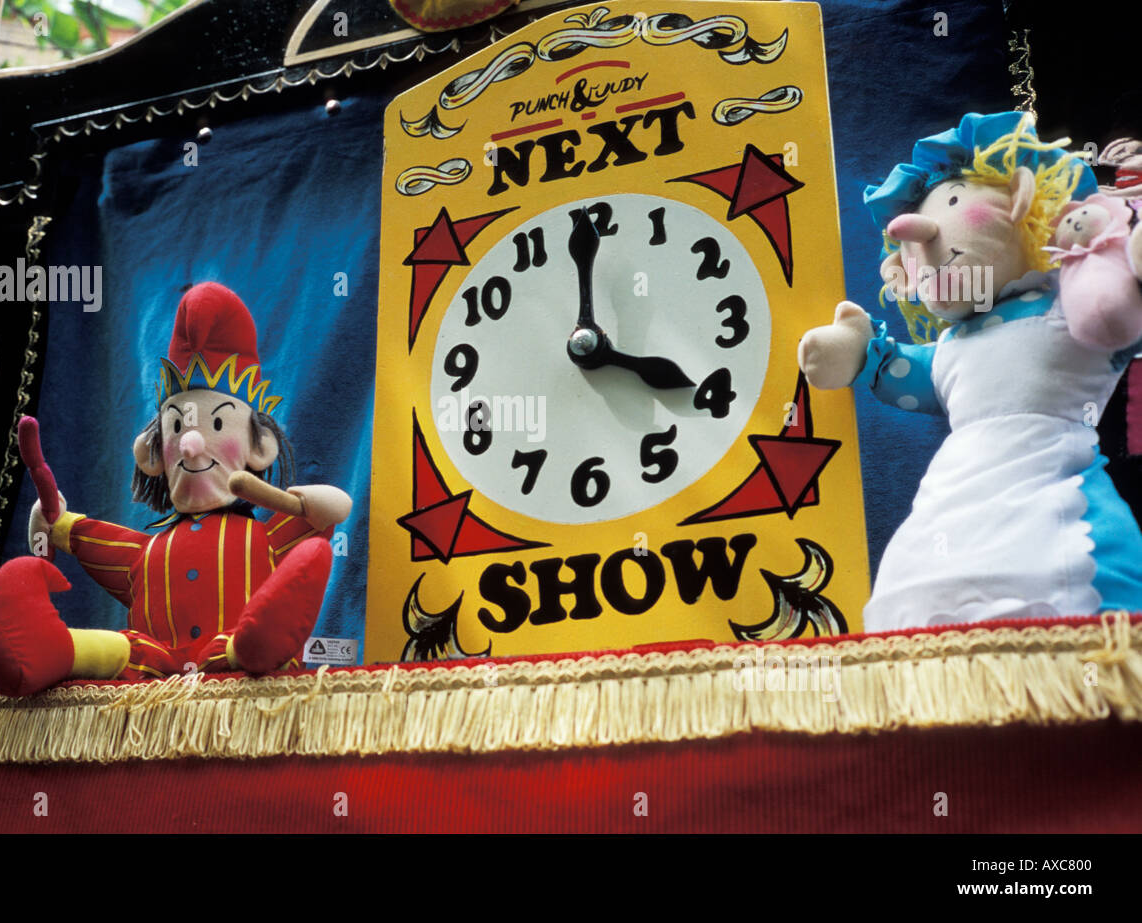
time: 3:59
